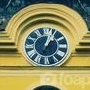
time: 1:03
